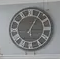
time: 1:14
